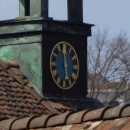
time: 5:59
